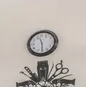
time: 11:29
